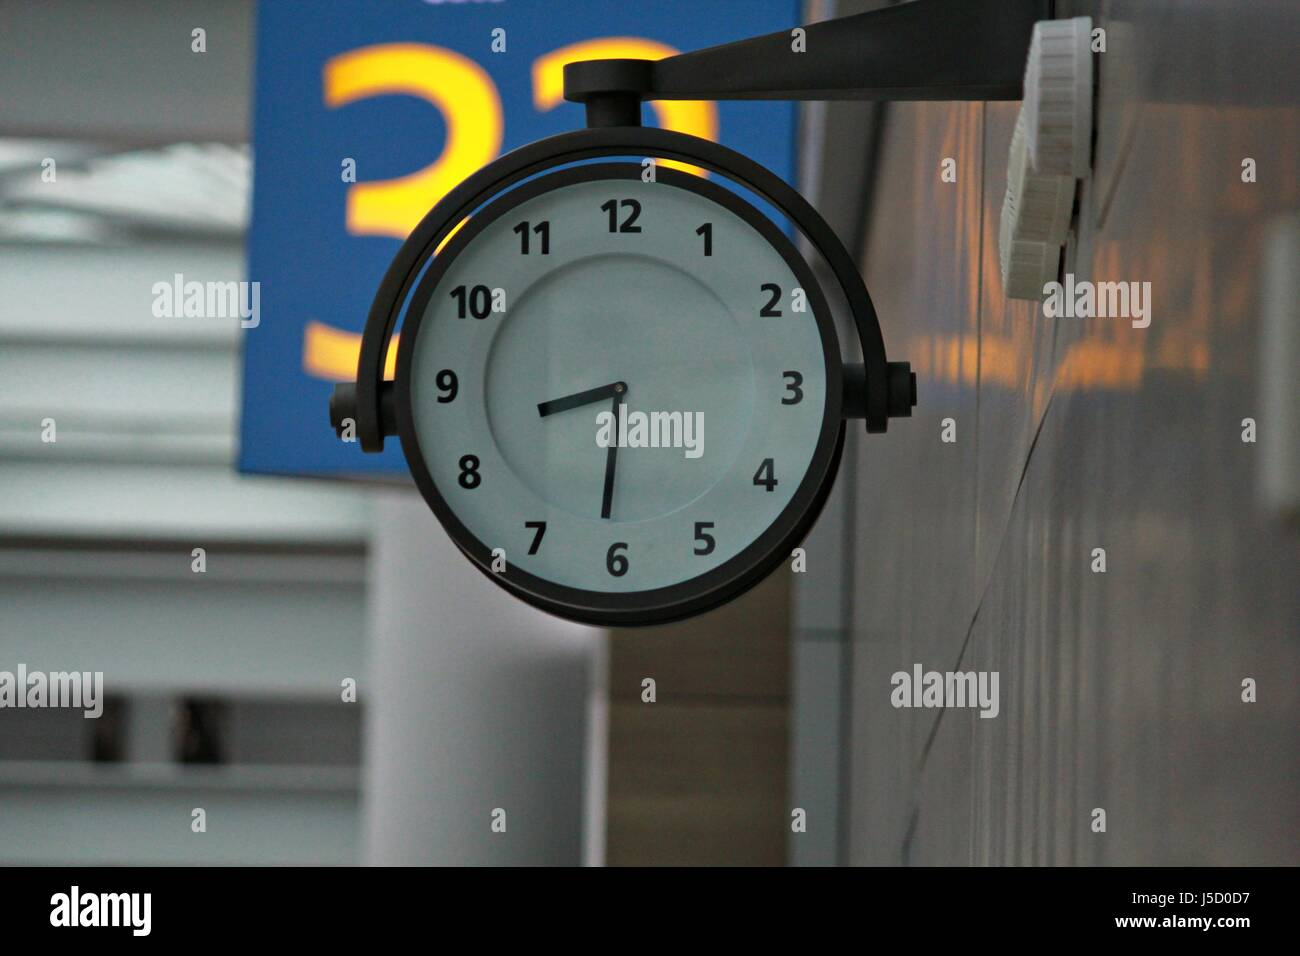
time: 8:31
